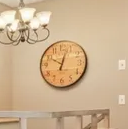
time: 10:02
